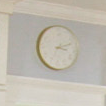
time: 3:11
